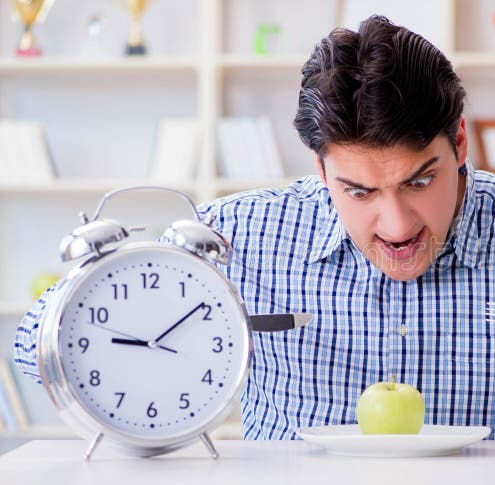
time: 9:09
